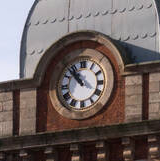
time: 10:52
